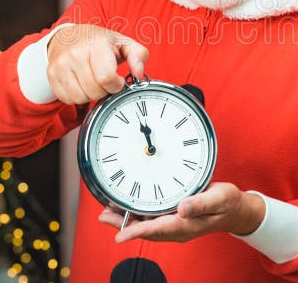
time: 11:58
